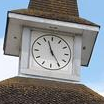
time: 11:24
